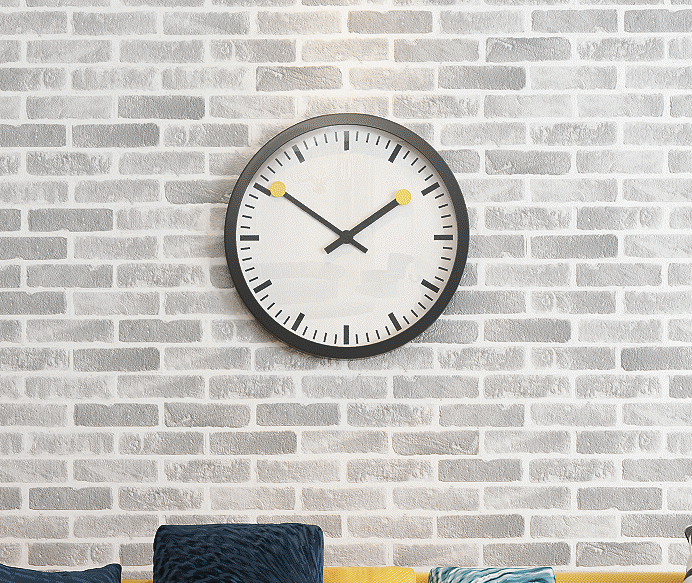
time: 1:50
